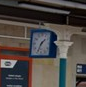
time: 1:34
